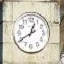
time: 12:40
